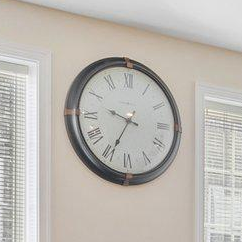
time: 9:34
